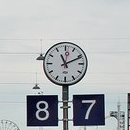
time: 11:11
